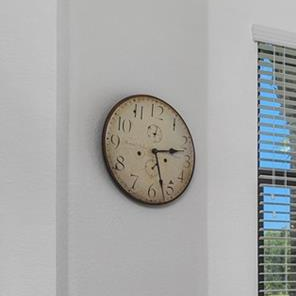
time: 2:27
